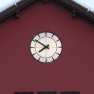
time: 7:50
